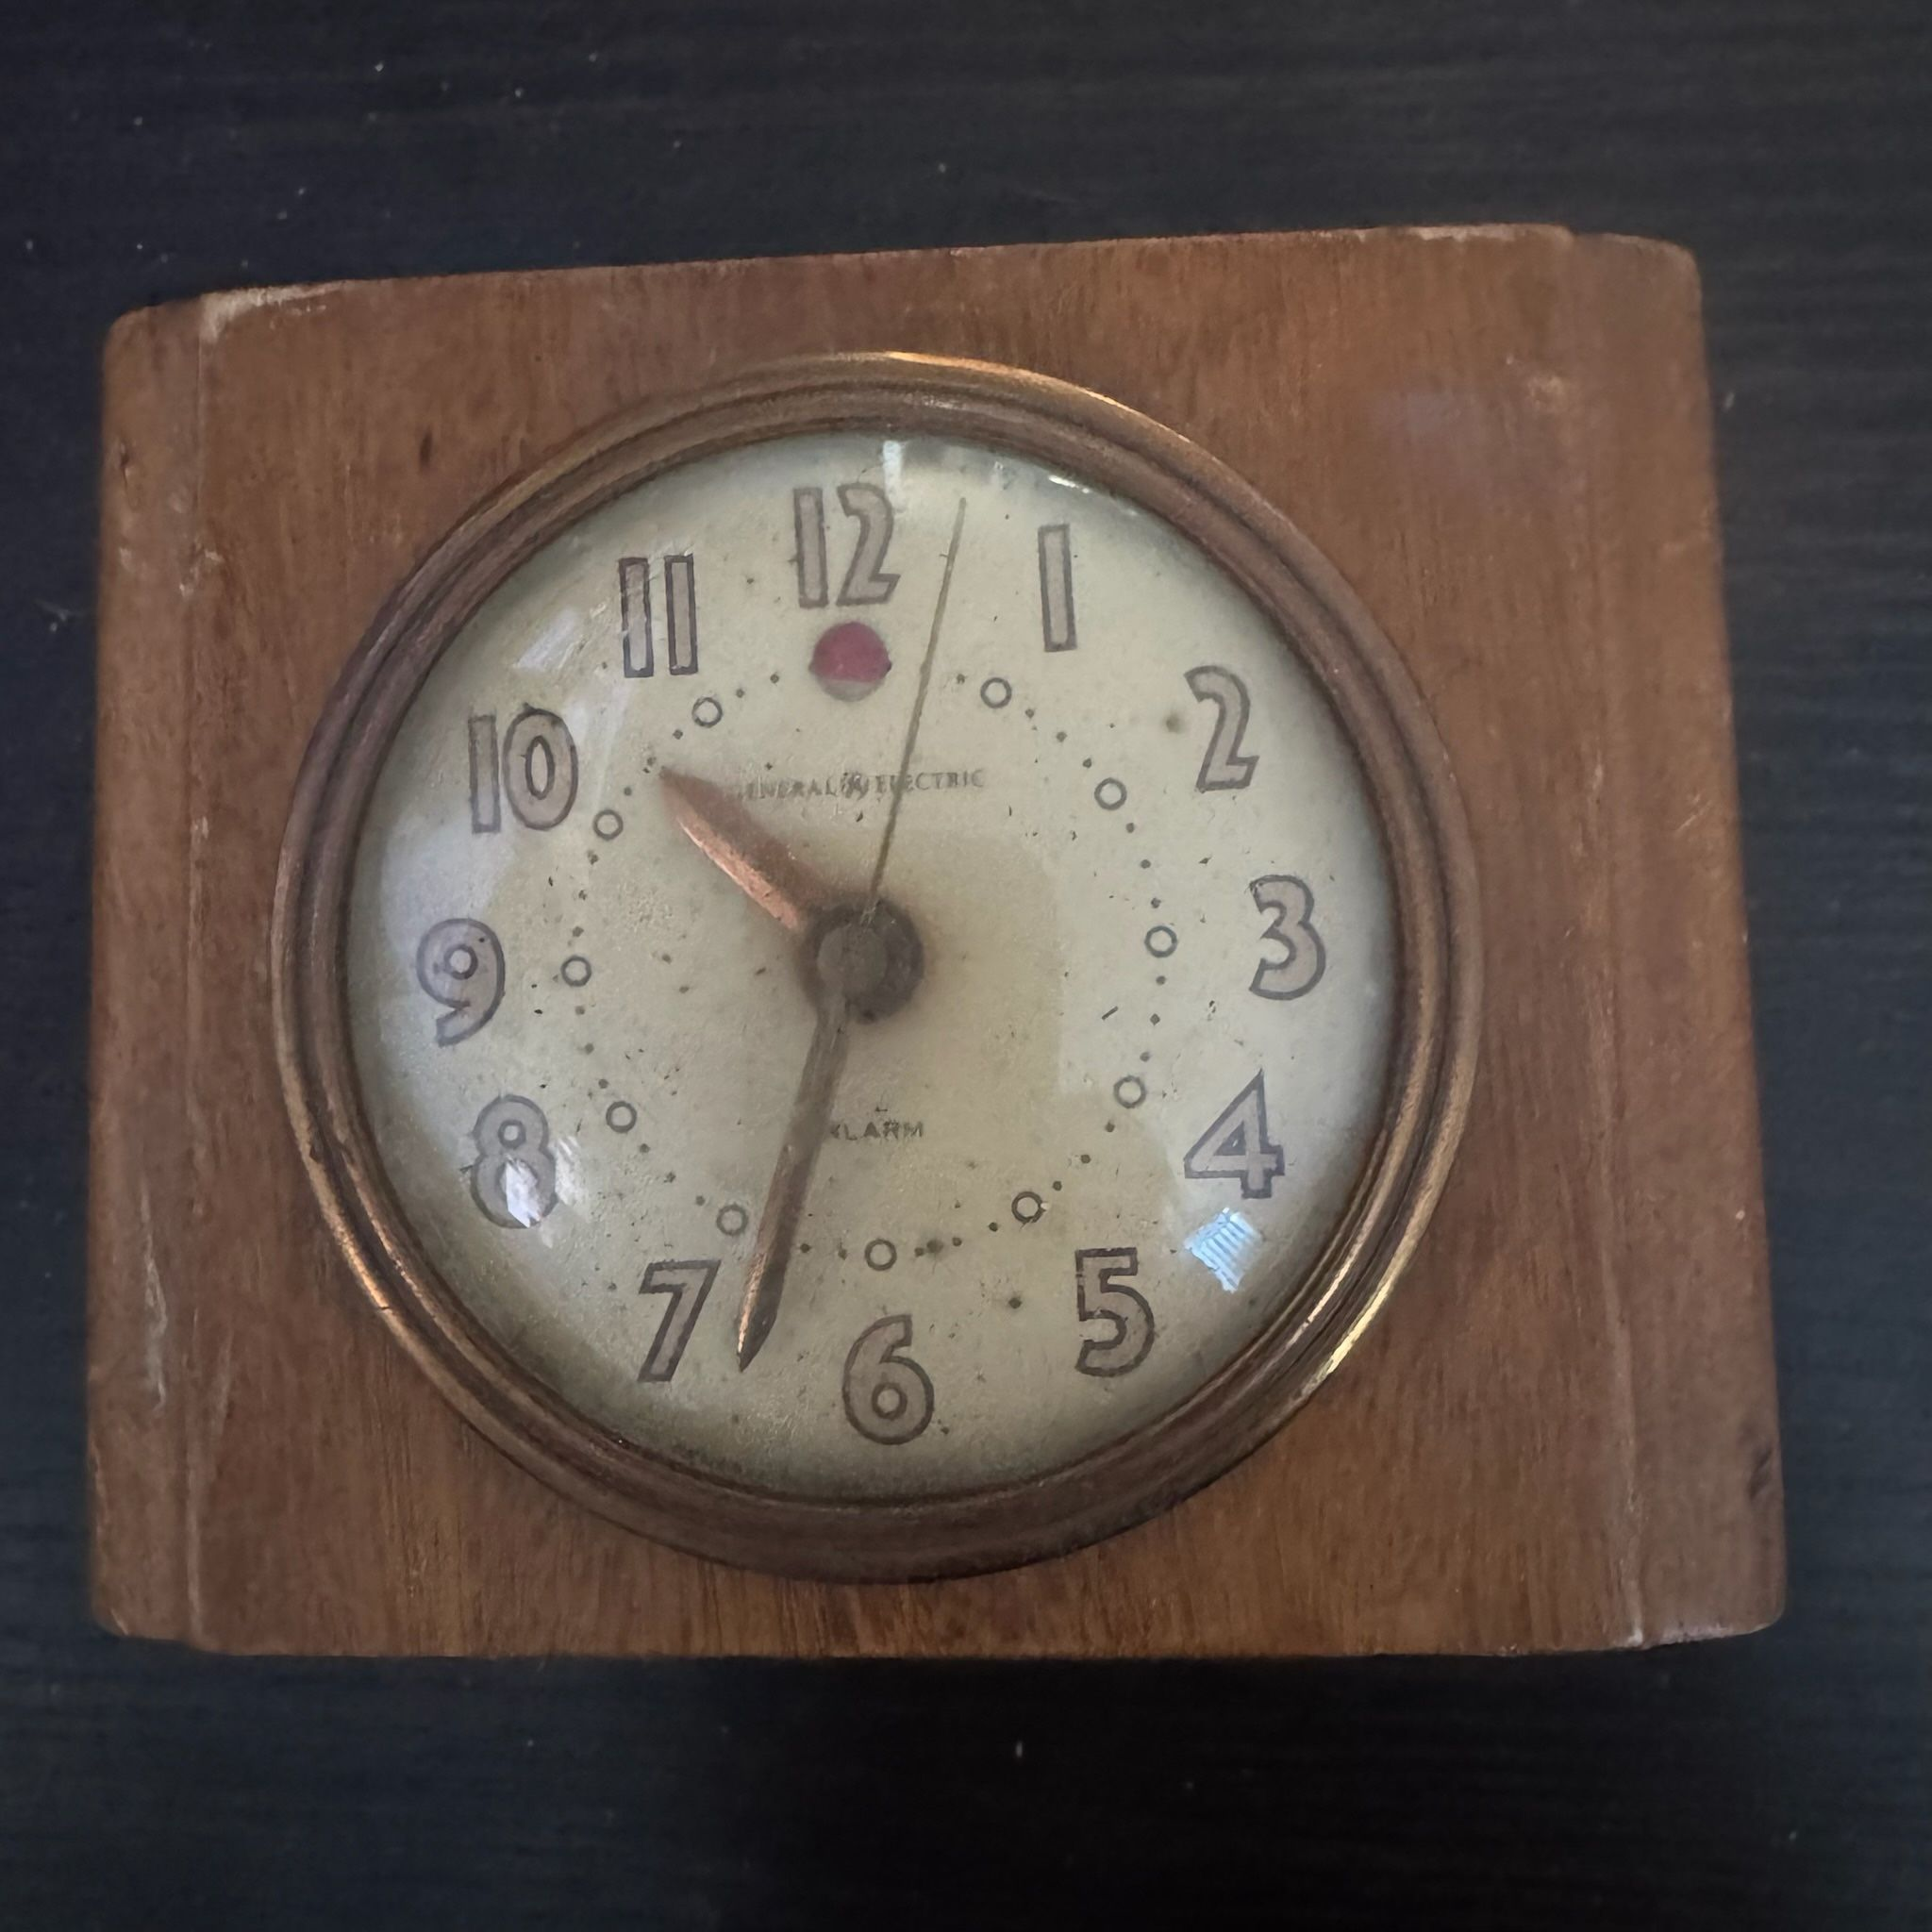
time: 10:33
